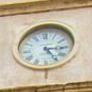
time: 3:24
